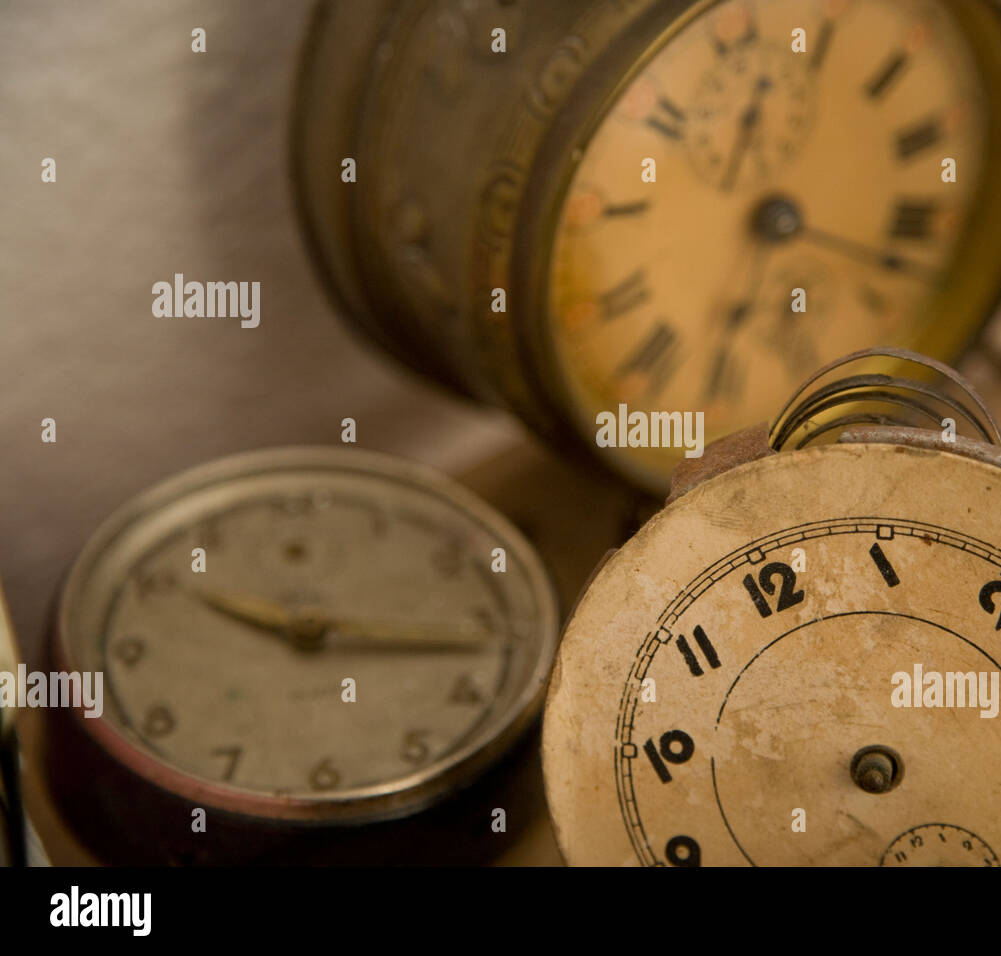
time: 10:17
